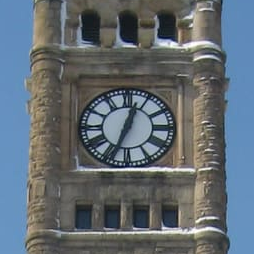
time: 12:33
